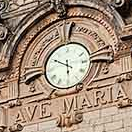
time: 5:49
